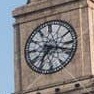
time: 7:18
